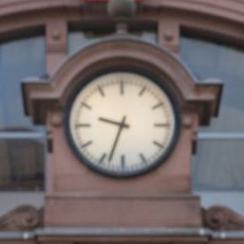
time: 9:33
